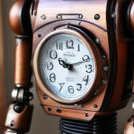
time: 10:11
